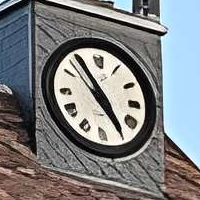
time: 4:54
